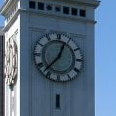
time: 12:37
